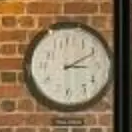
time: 3:10
